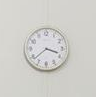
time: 3:38
